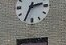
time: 2:34
